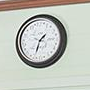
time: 1:32
